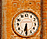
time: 6:29
